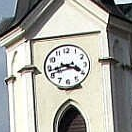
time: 3:43
